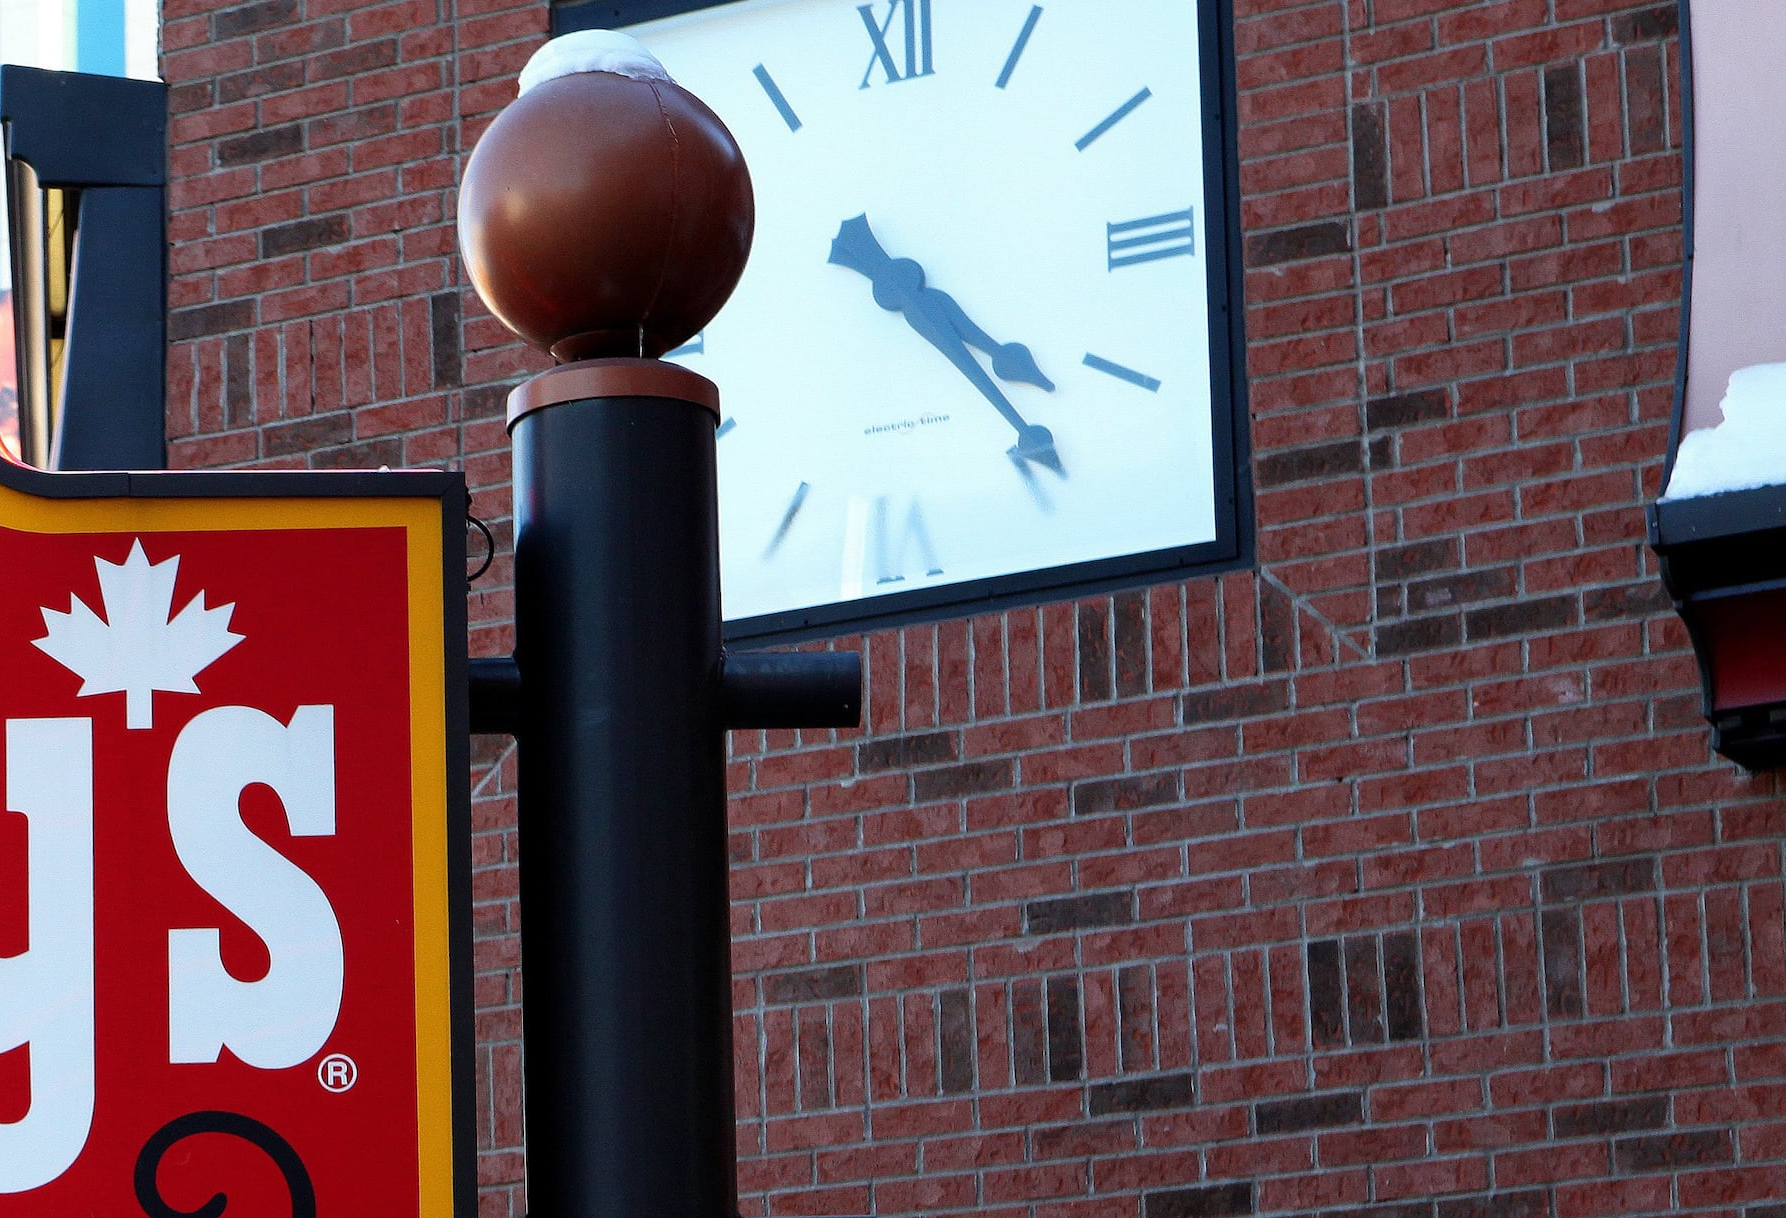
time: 4:23
